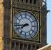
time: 7:43
